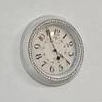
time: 3:55
